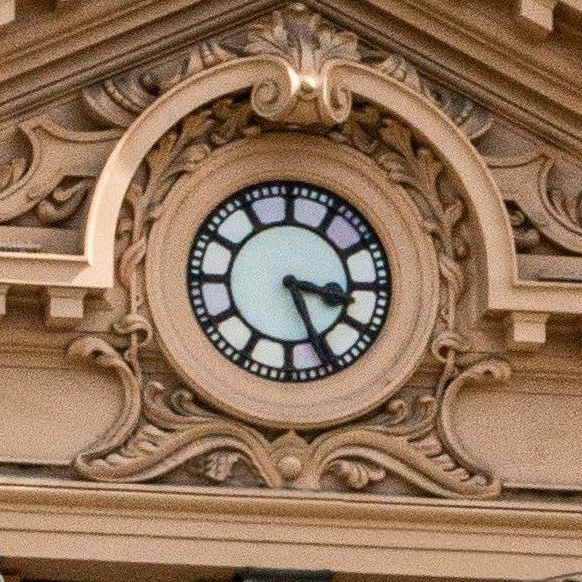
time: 3:26
